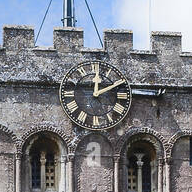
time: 12:10
